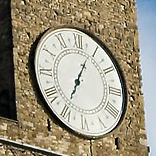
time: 7:04
